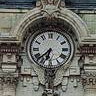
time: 6:38
